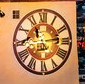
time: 11:13
